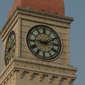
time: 9:10
